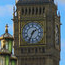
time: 1:34
